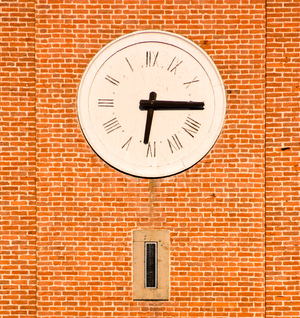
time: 6:15
